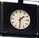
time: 1:30
